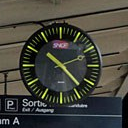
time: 10:23
